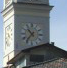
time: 10:36
